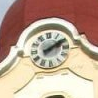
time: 2:09
